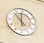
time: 11:52
